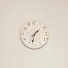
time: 1:32
